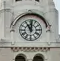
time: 11:01
